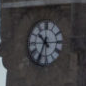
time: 10:34
